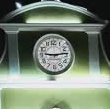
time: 9:13
